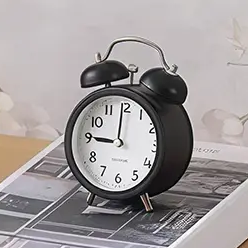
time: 8:59
